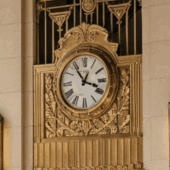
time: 12:54
